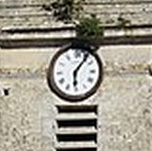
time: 6:06
